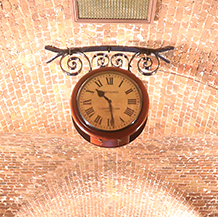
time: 10:28
